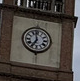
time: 6:58
